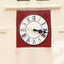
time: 3:17
